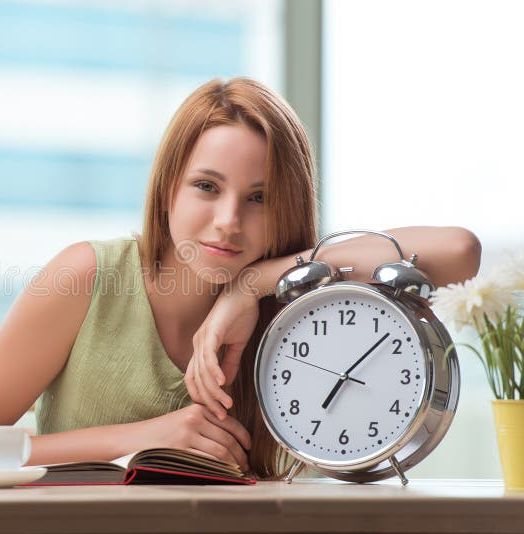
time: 7:07
